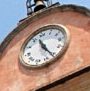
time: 11:25
